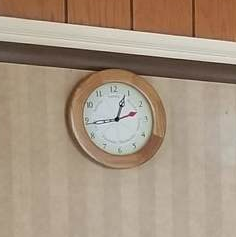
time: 12:43
